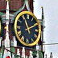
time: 11:10
